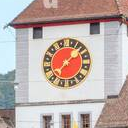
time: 7:07
